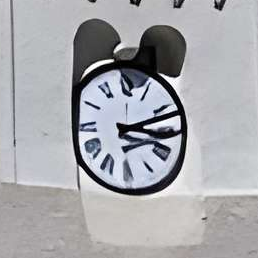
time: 3:11
